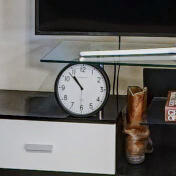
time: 10:53
